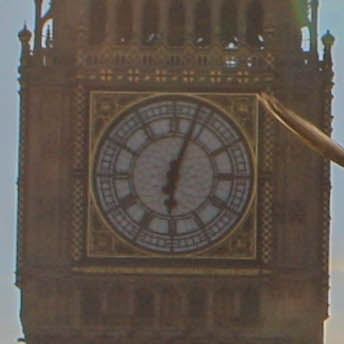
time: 6:03
